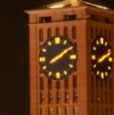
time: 8:09
